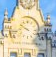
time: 9:51
